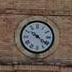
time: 10:21
